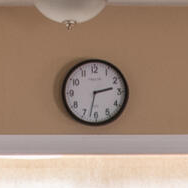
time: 2:32
